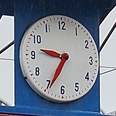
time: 9:34
